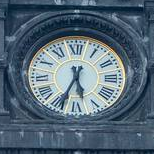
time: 5:33
